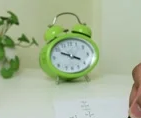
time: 3:49
